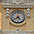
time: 4:39
